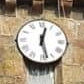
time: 12:27
